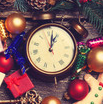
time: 1:02
